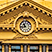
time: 10:43
